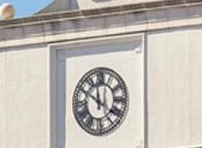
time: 11:50
